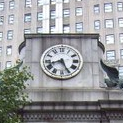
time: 8:25
